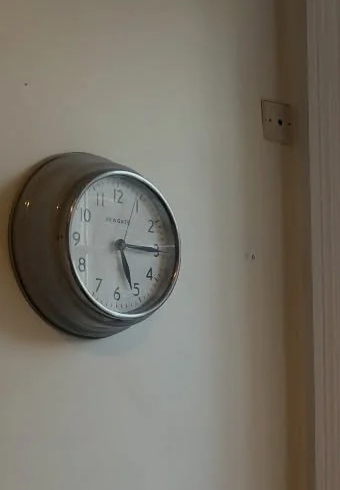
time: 5:15
